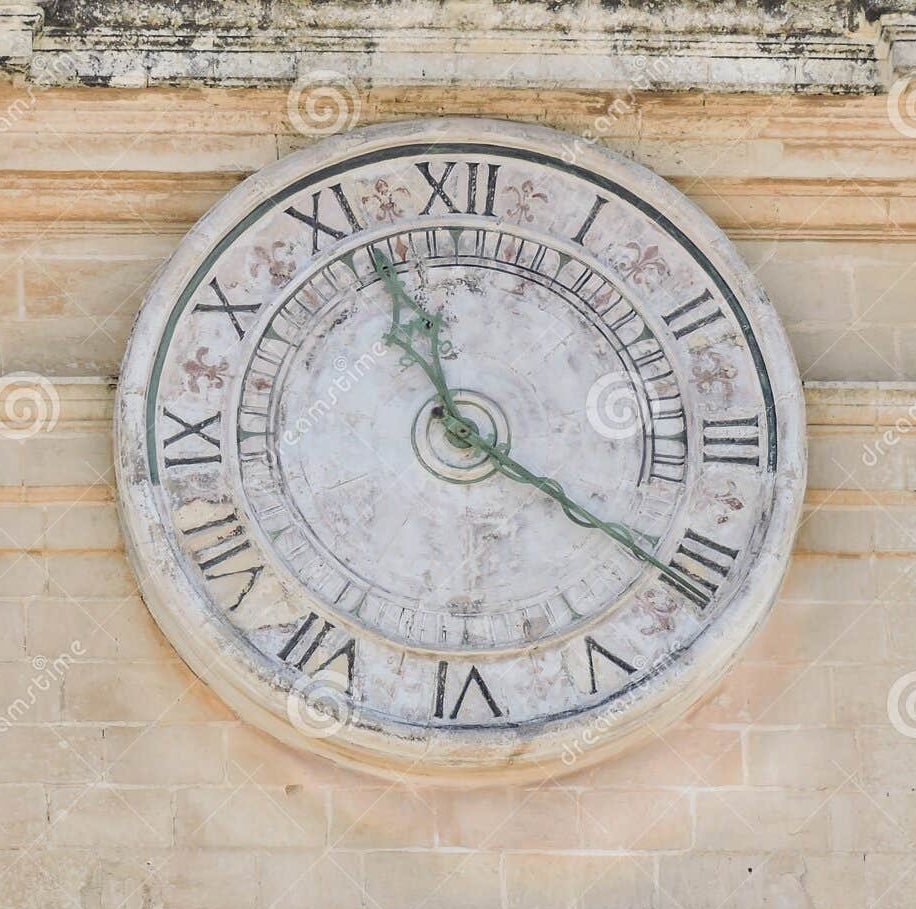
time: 11:20
